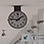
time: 1:46
